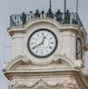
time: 12:40
